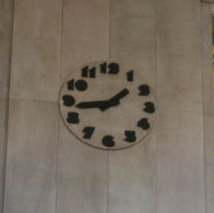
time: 1:43
